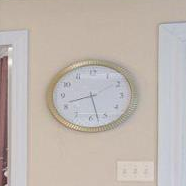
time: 8:27
